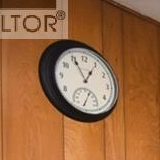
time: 12:55
